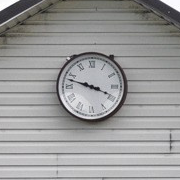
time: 3:47
